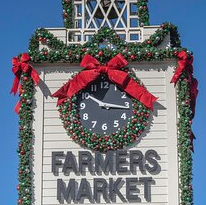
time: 10:15
